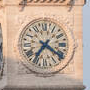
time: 7:20
